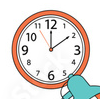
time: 12:09
